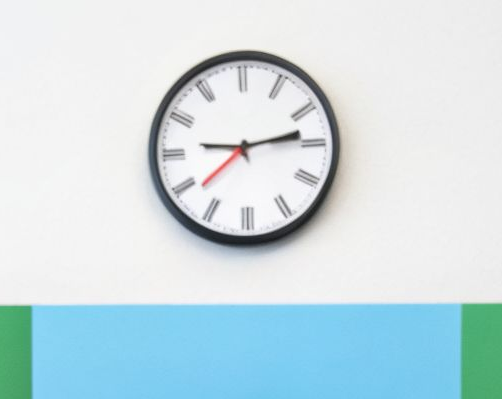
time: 9:13
